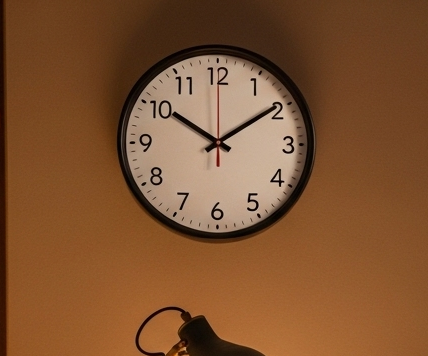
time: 10:09
